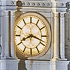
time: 8:18
